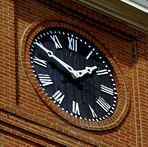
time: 1:49
